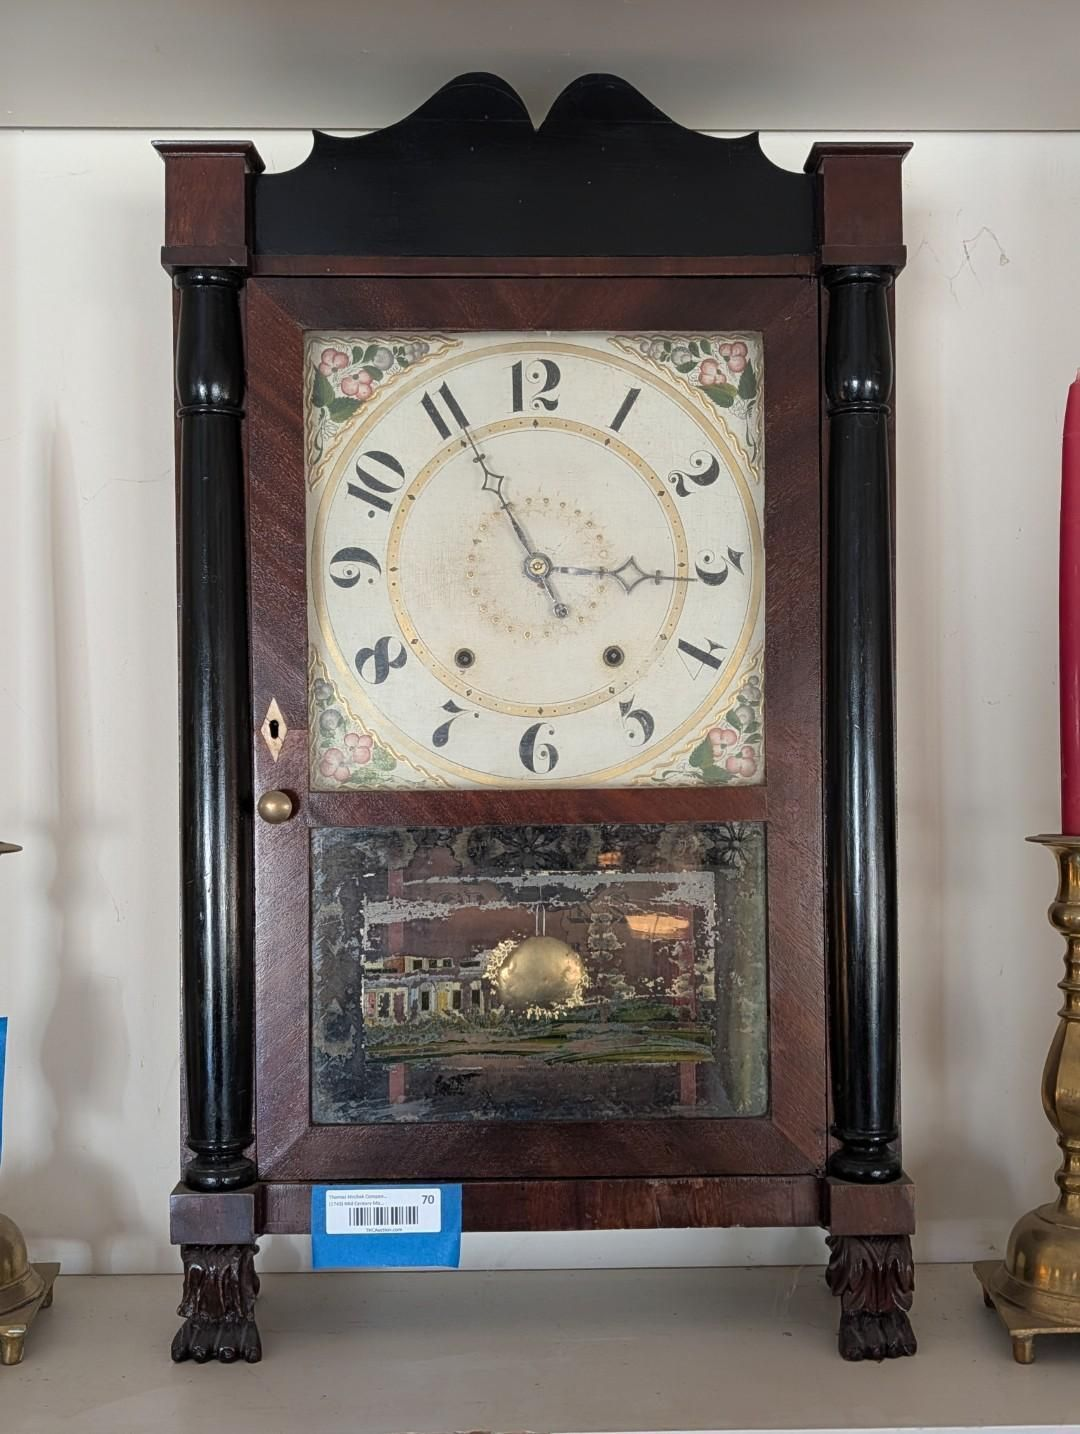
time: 2:54
